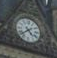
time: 4:38
